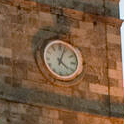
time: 4:03
